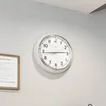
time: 2:44
